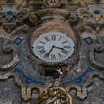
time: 3:34
